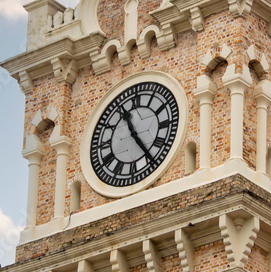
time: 11:24
